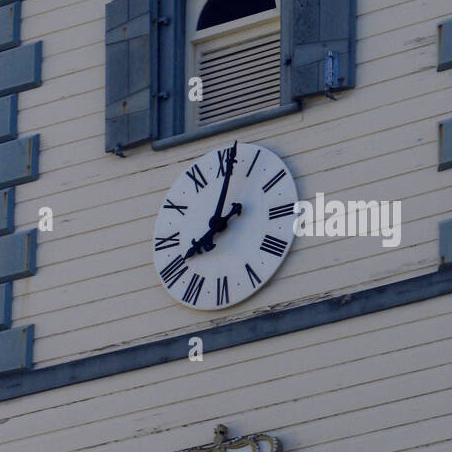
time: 8:01
